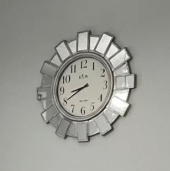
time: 8:40
